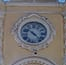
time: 10:22
